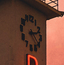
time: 2:23
